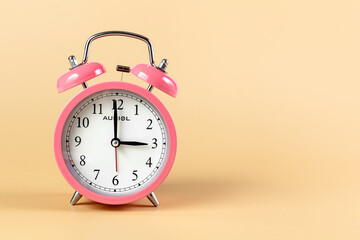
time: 2:59
